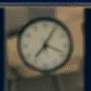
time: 7:18
